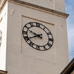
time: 9:40
